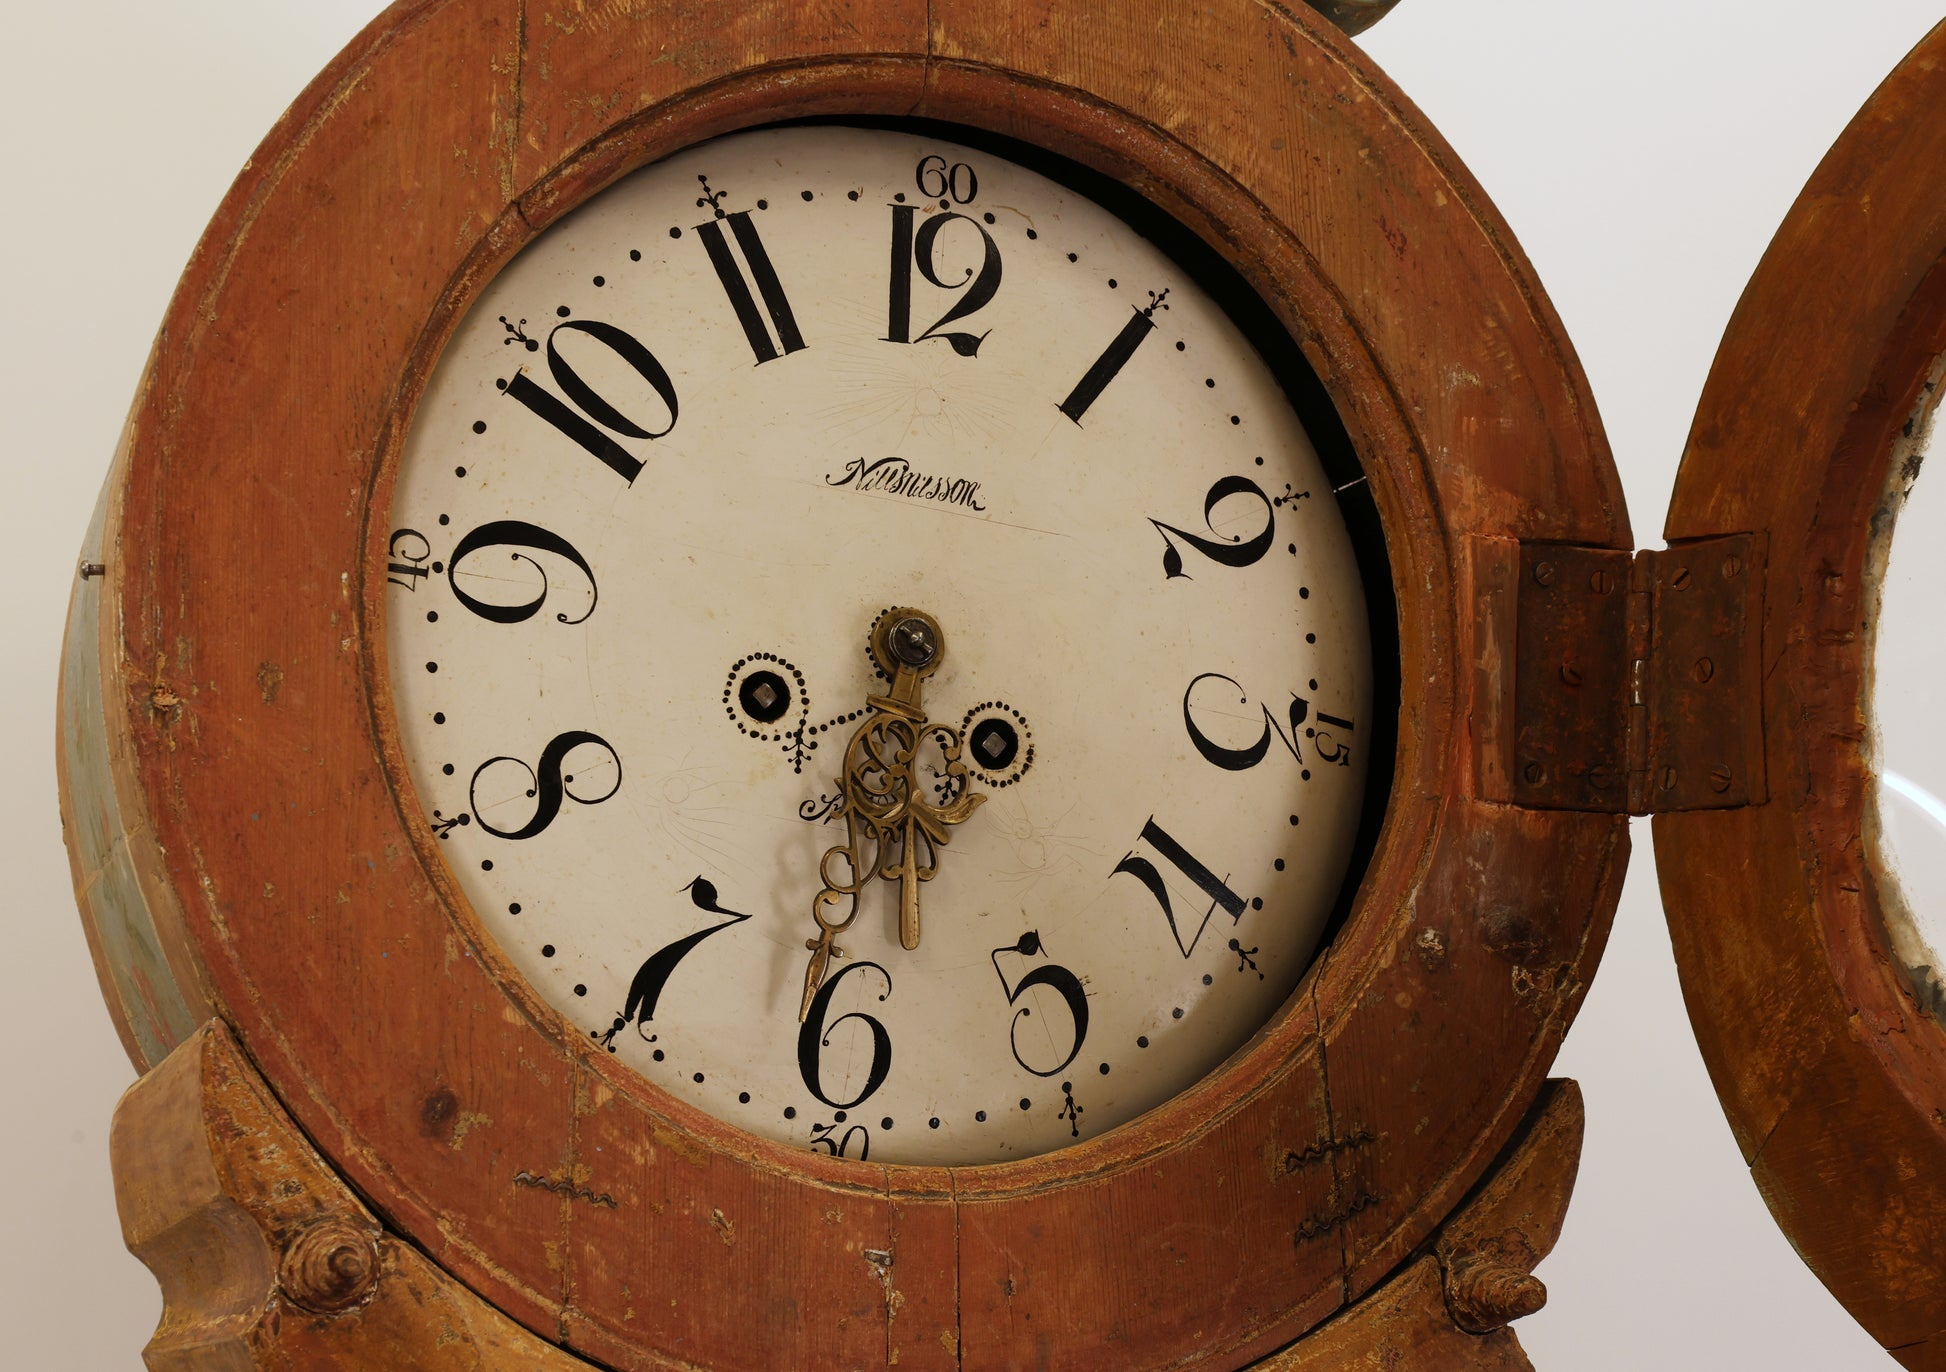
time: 5:31
